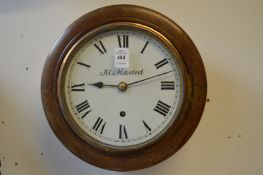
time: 9:12
